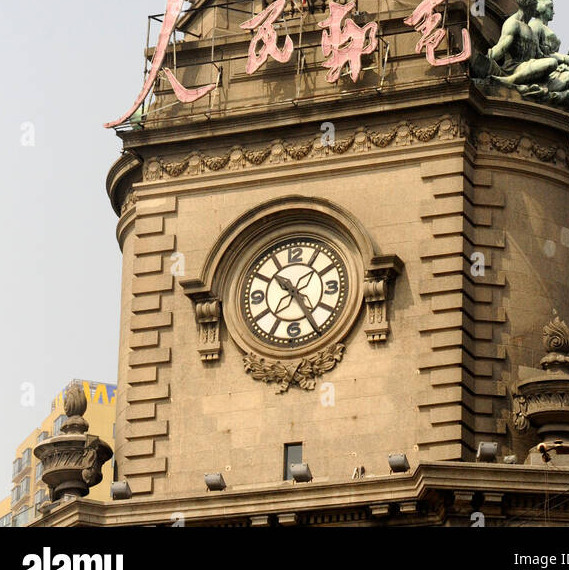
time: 10:24
